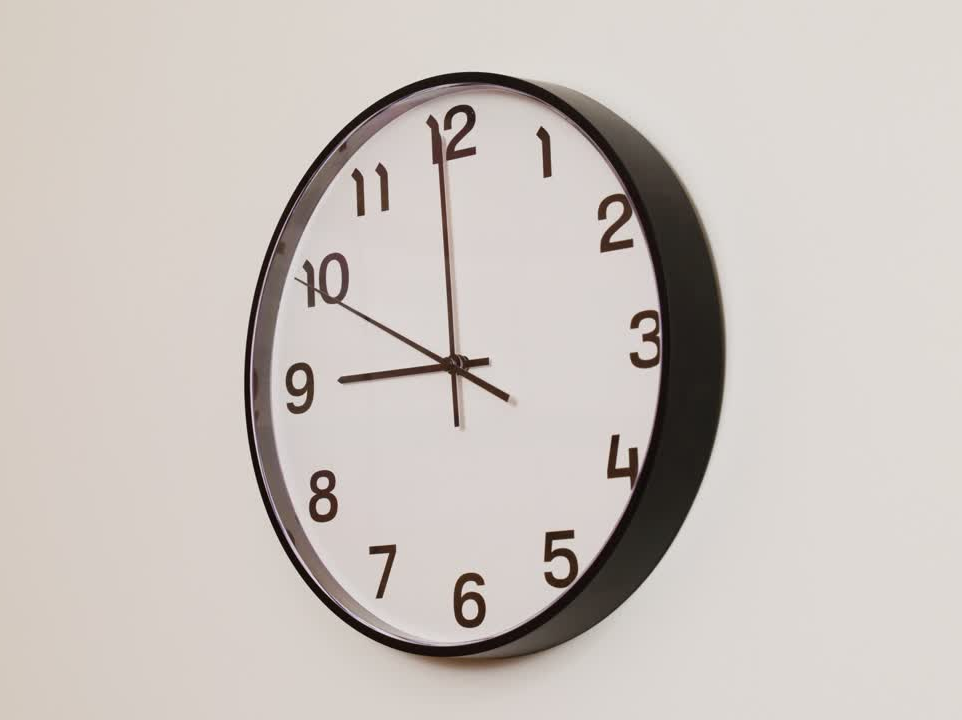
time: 8:59
